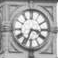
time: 3:33
